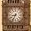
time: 8:34
